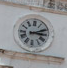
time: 3:11
